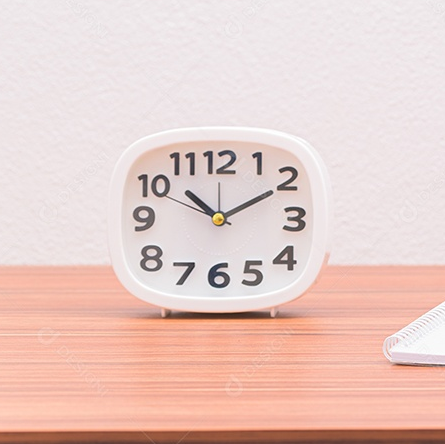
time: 10:10
